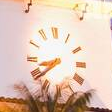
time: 8:38
